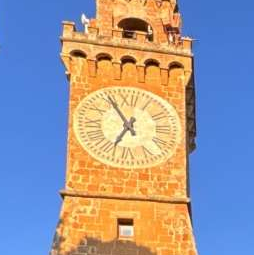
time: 6:54
